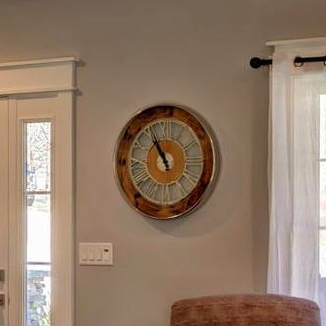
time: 10:55
